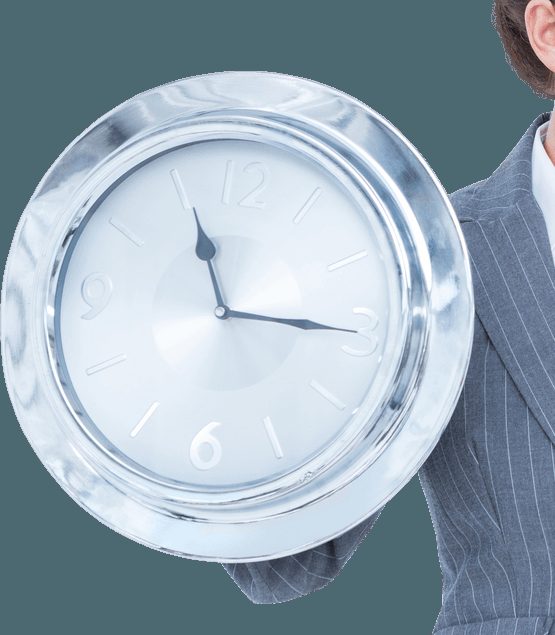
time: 11:16
